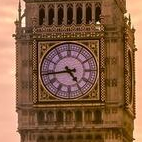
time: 4:43
